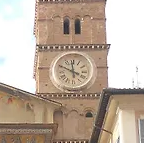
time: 11:49
